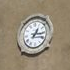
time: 1:16
